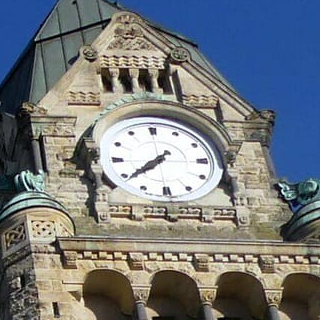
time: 7:38
